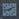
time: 1:43
